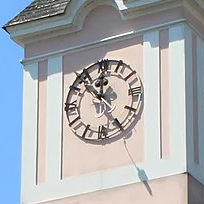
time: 11:52
